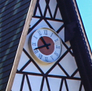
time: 10:41
